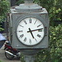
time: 5:13
